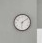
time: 6:08
